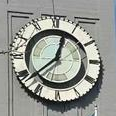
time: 12:38
